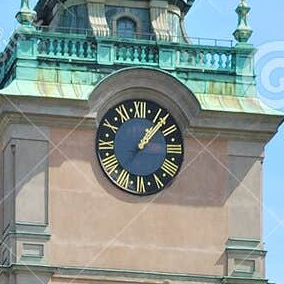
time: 1:07
